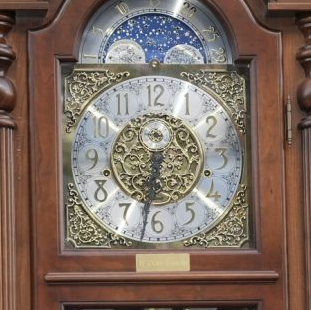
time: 6:32
